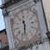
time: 11:32
